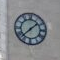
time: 1:37
